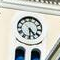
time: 4:29
